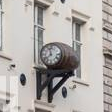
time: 11:37
